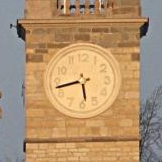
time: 5:42
